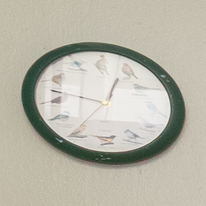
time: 12:47
